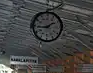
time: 1:43
